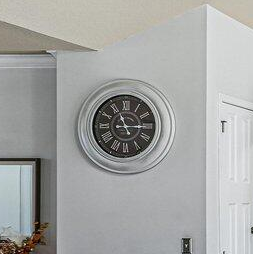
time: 11:14
